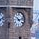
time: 10:12
